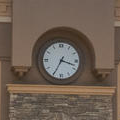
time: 3:34
